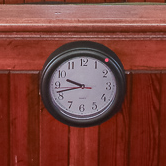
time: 9:42
